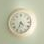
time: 4:33
